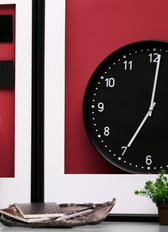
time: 7:01
